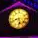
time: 5:41
